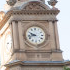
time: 9:42
